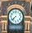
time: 7:37
